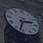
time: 2:33
